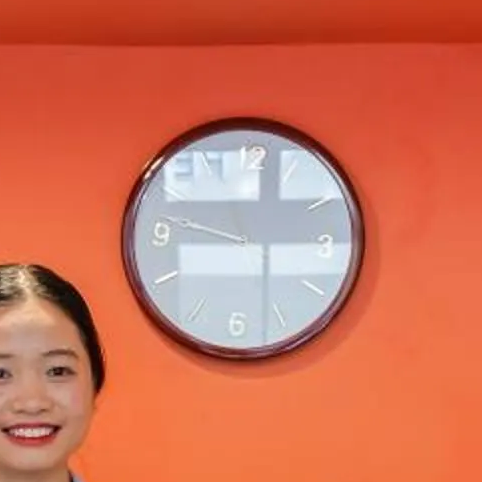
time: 9:14
